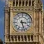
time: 3:27
